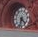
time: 4:32
